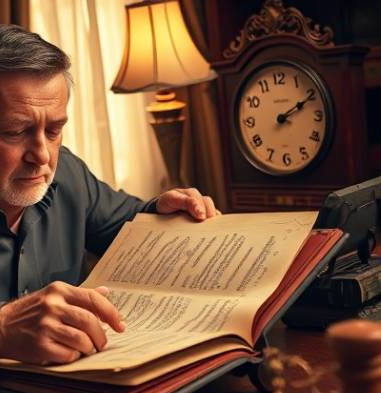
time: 2:10
